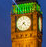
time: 4:37
